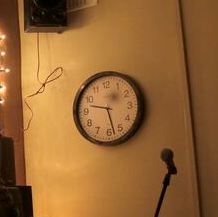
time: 9:28
